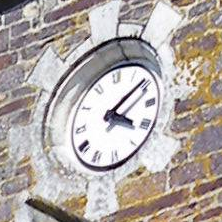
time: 4:09
